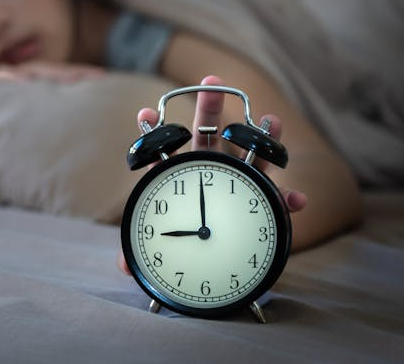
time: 8:59
